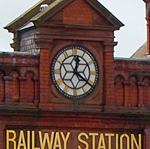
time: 12:20
